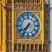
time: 7:35
